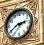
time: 2:40
